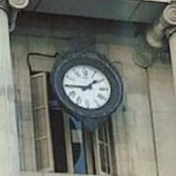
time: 1:45
